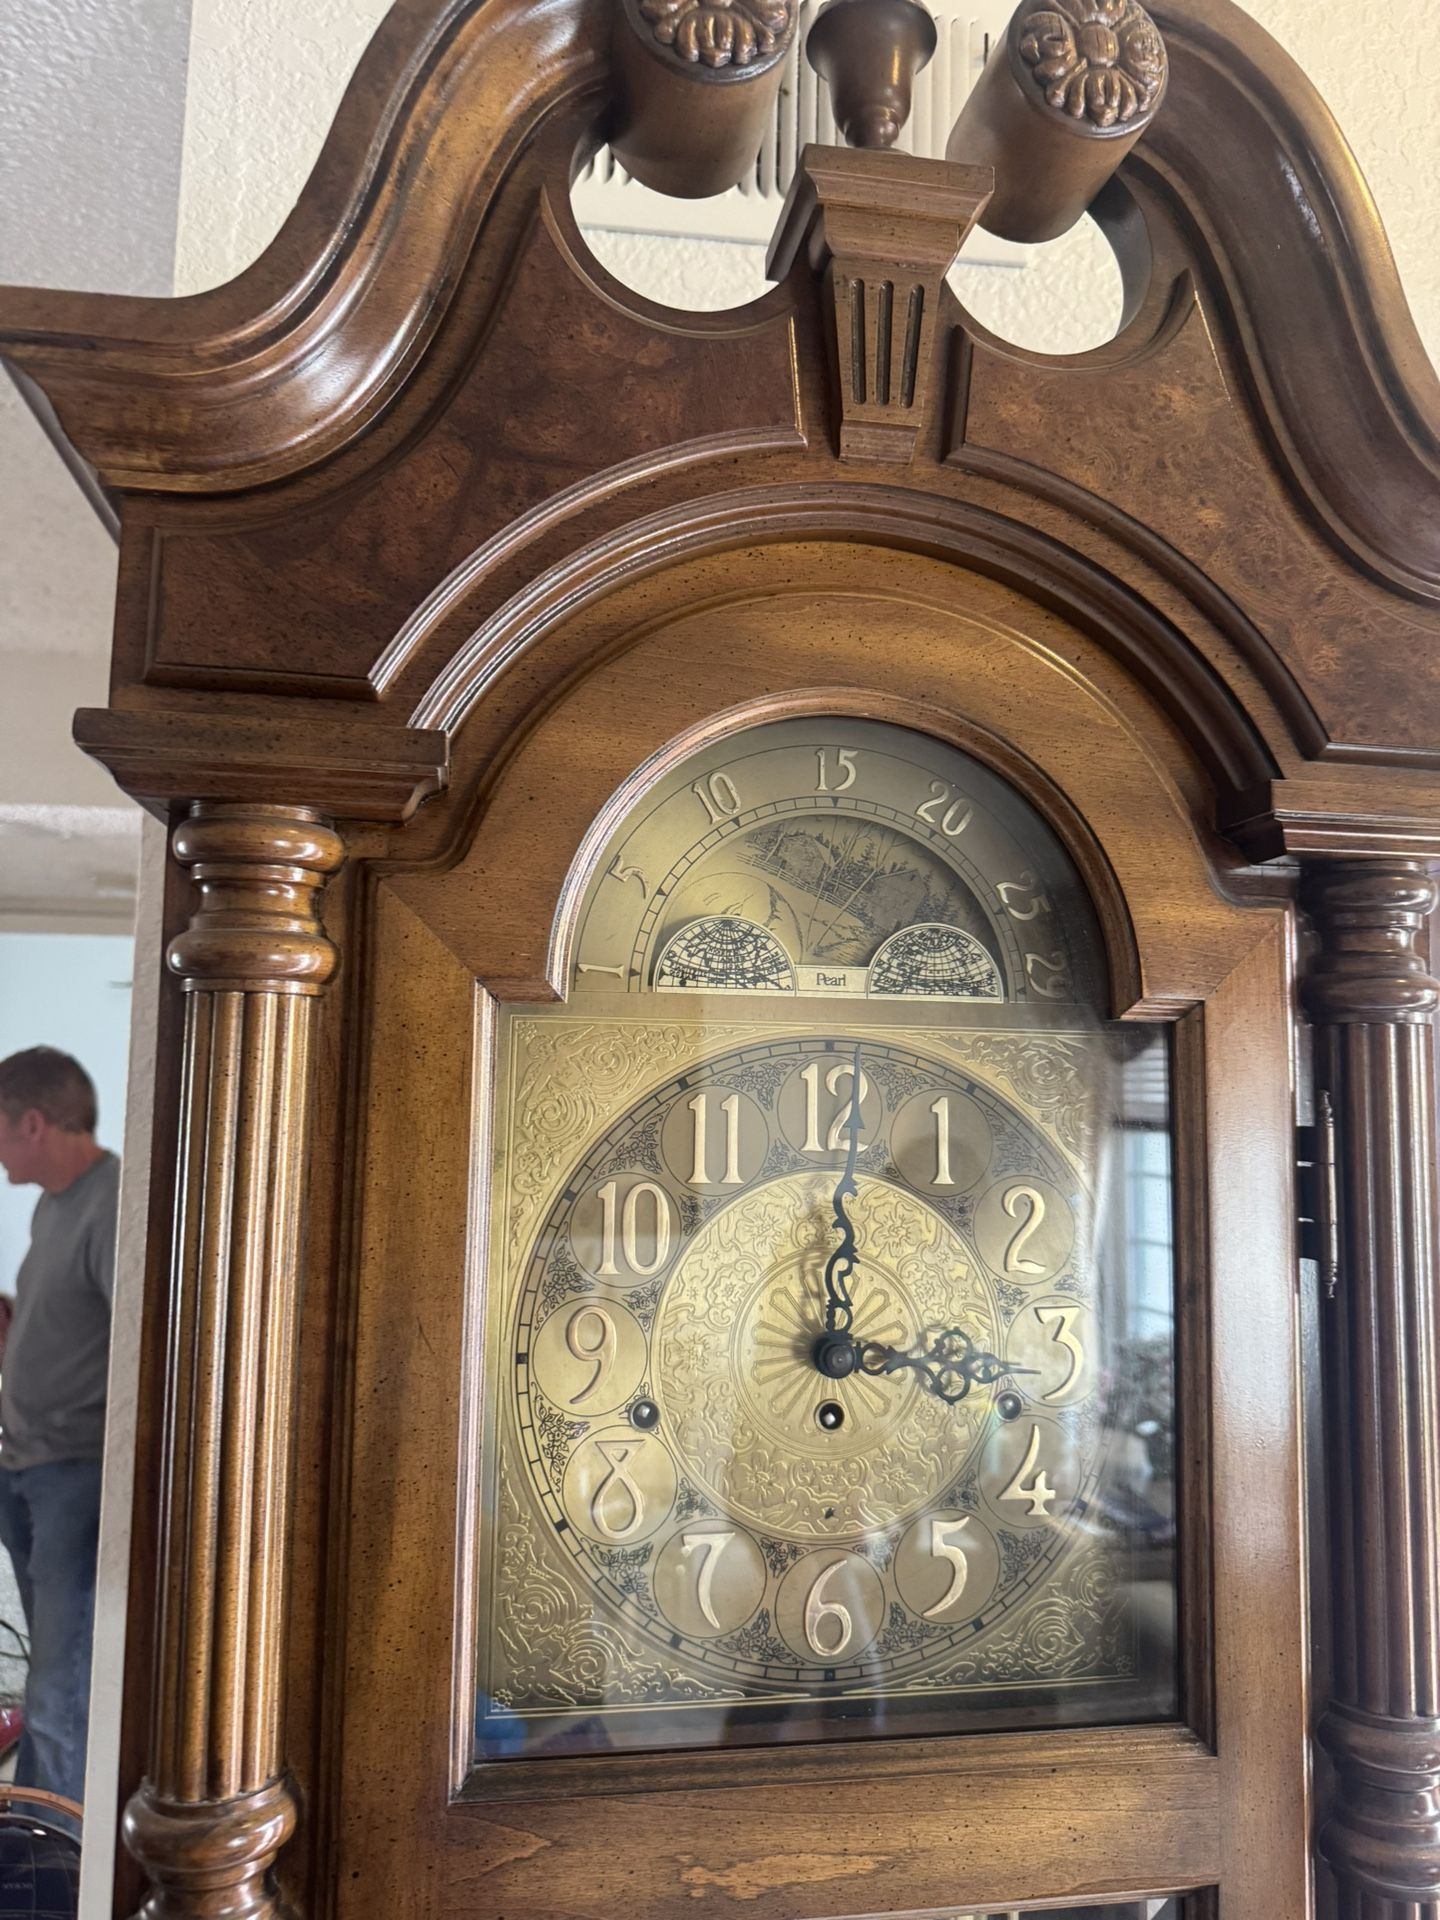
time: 12:16
